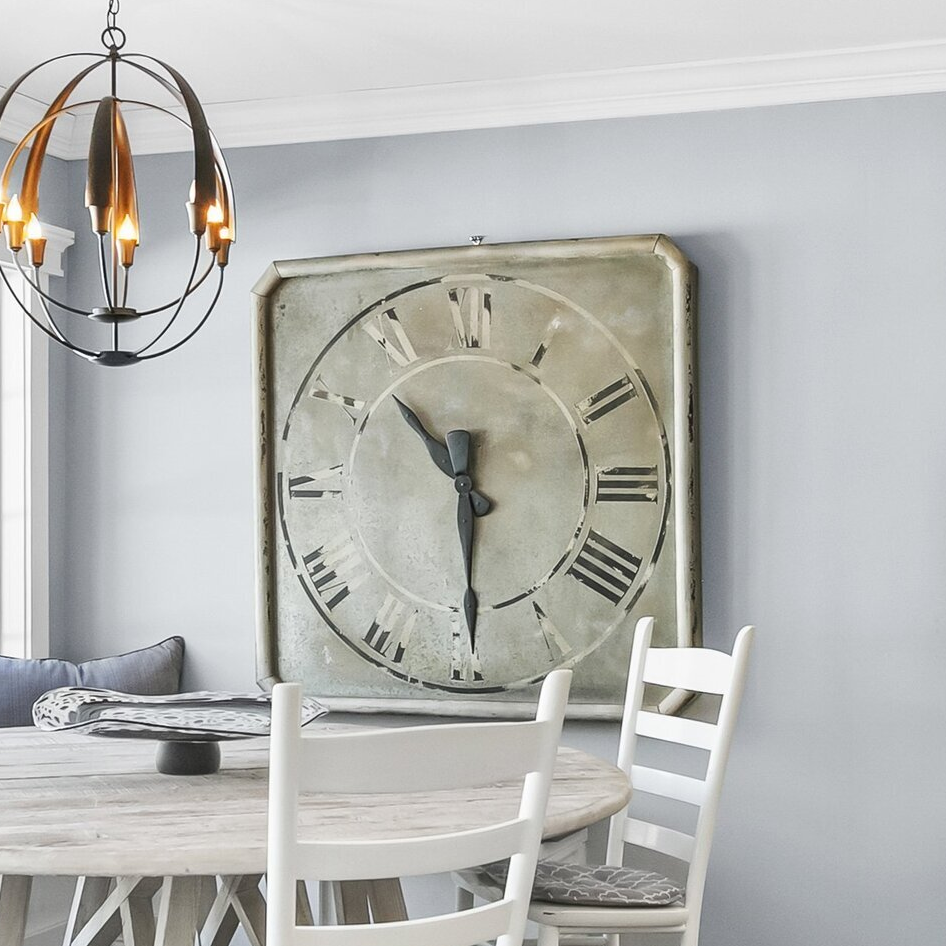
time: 10:29
